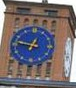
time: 12:46
